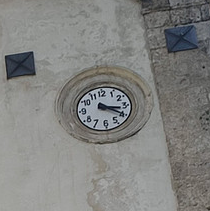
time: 3:20
